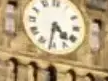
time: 4:31
